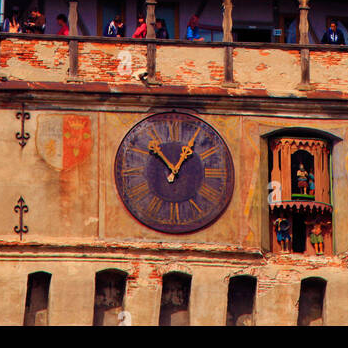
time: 12:52
